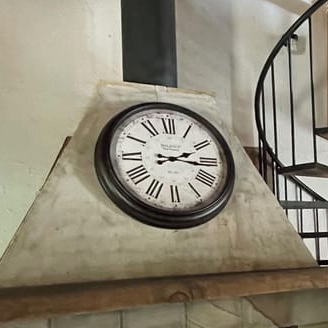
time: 2:16
